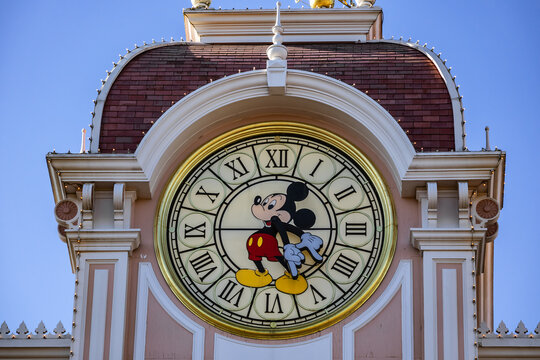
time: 12:26
